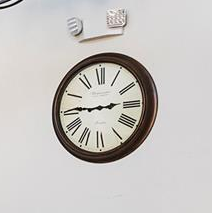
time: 2:45
